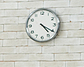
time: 4:20
